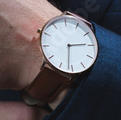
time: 6:14
